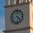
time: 4:22
